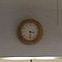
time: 3:29
